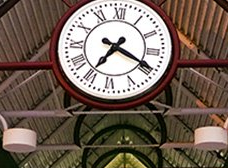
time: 7:19
